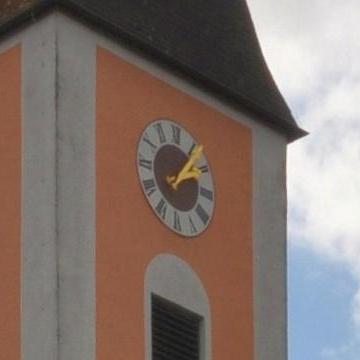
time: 2:06
